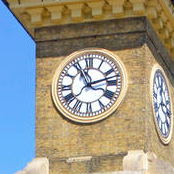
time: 11:12
